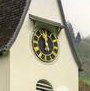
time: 12:28
